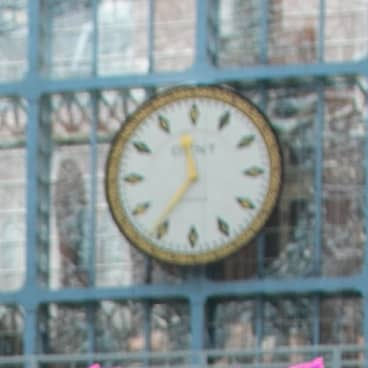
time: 11:35
